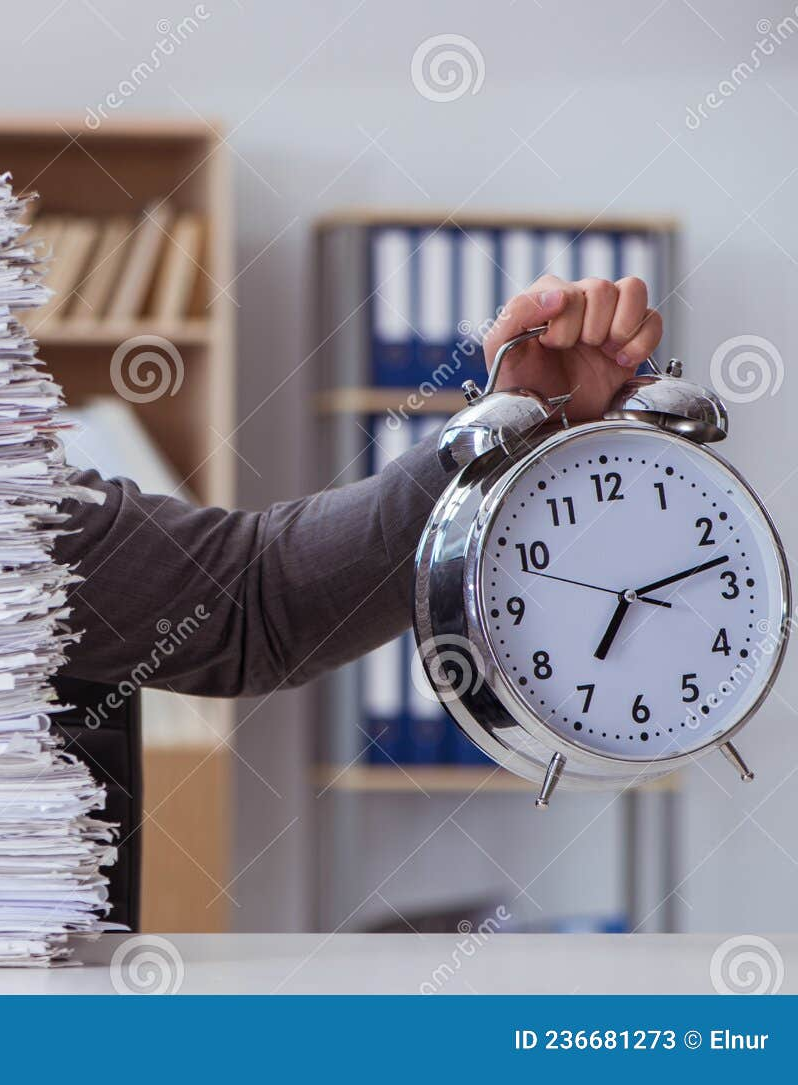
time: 7:12
